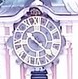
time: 4:21
